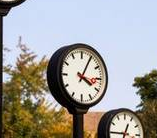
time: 4:04
